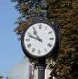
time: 10:48
